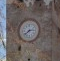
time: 2:38
